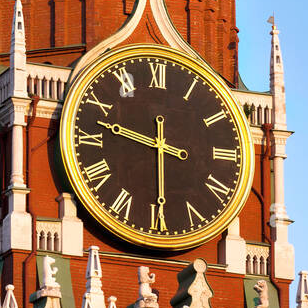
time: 9:29
